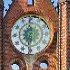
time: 6:29
